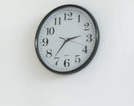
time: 2:36
